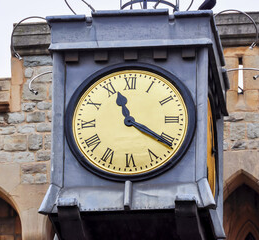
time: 11:20
